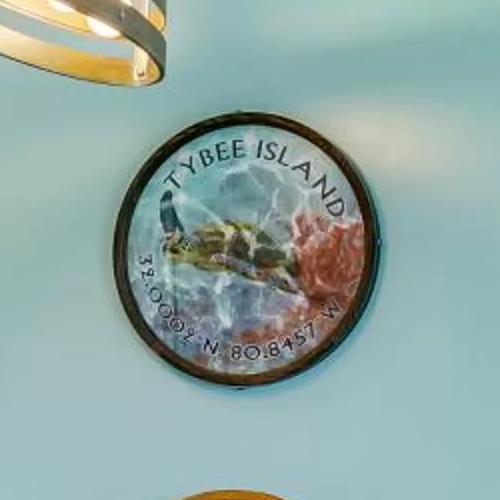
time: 3:46
